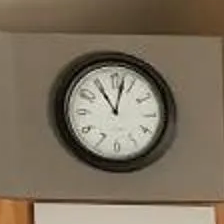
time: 11:02
